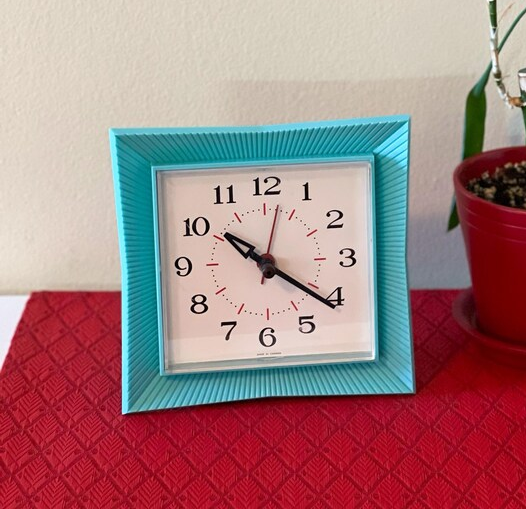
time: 10:20
